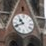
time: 10:41
